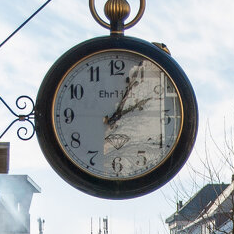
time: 2:04
